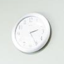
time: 2:25
